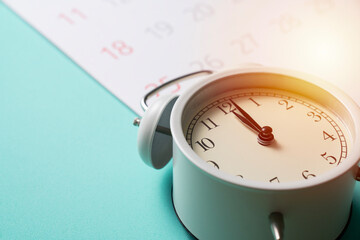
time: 10:56
